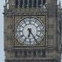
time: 6:24
